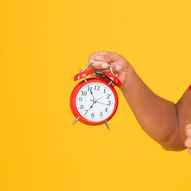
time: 6:55
